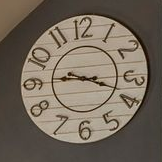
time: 9:18
